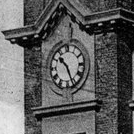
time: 10:26
